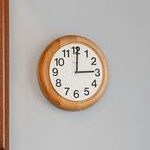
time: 3:00
